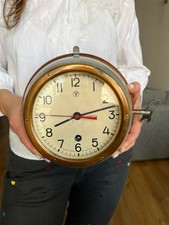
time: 8:12
